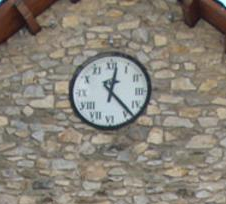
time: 12:23
